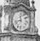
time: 11:42
